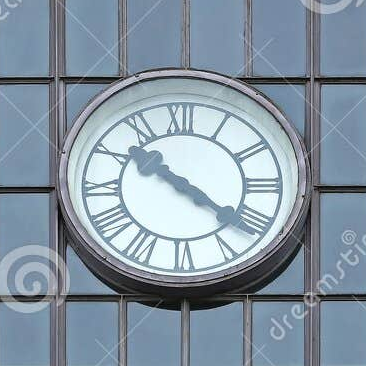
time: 10:21
